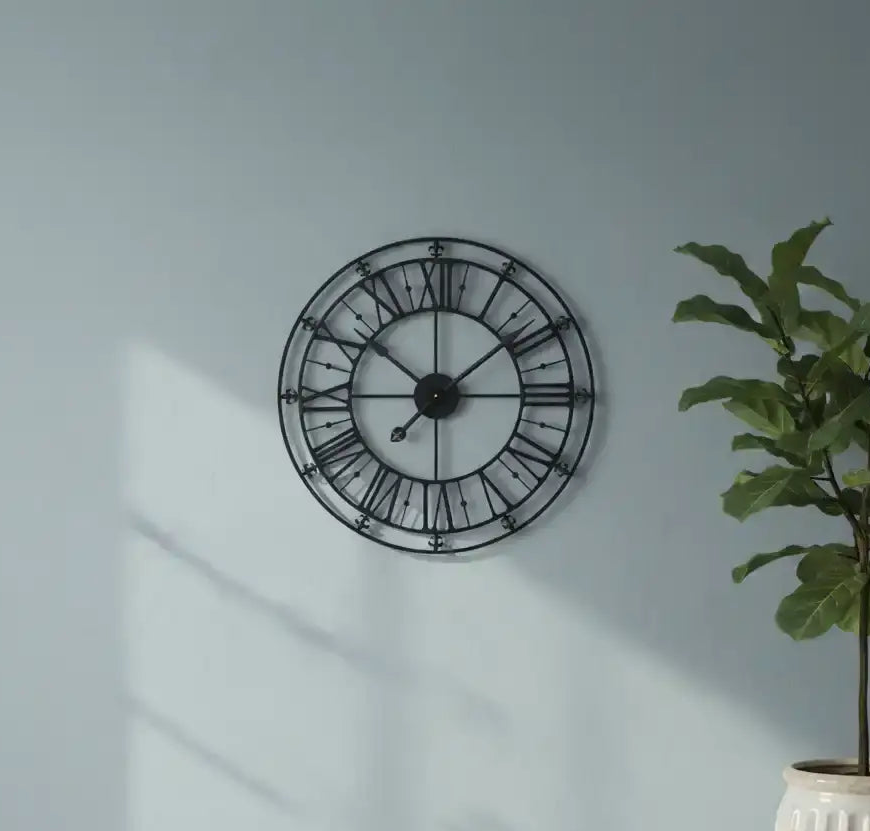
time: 10:08
